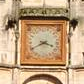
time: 3:40
